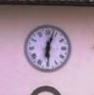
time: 6:03
